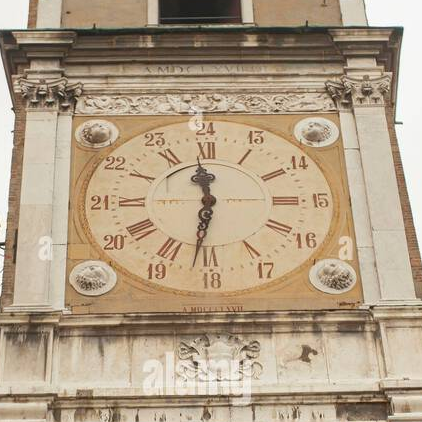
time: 11:31
